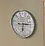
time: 6:13
